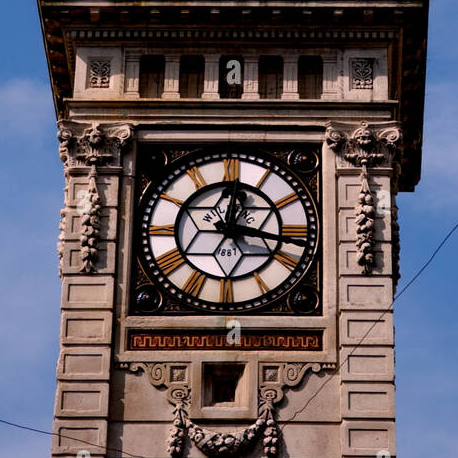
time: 12:16
